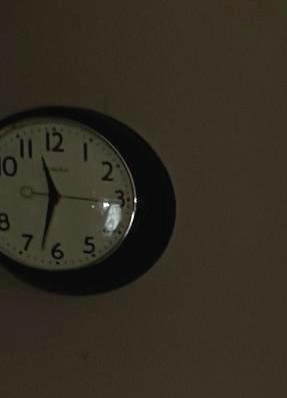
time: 11:32
